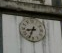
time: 8:33
